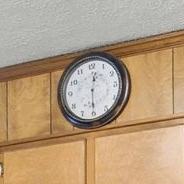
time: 12:30
